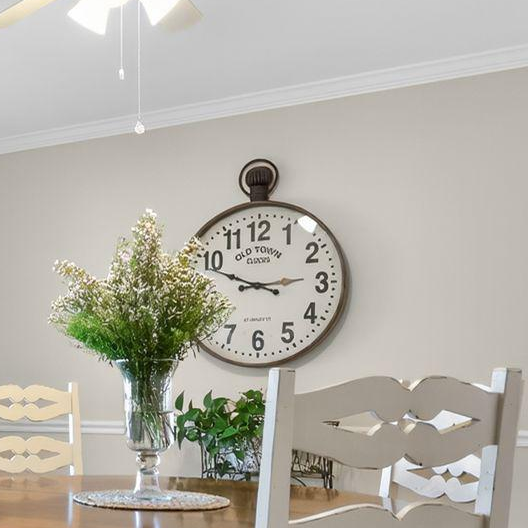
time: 2:48
